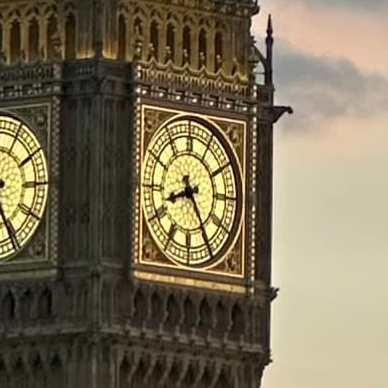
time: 8:24
